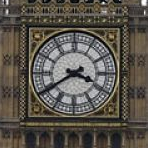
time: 3:39
